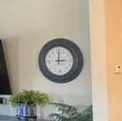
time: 3:01
